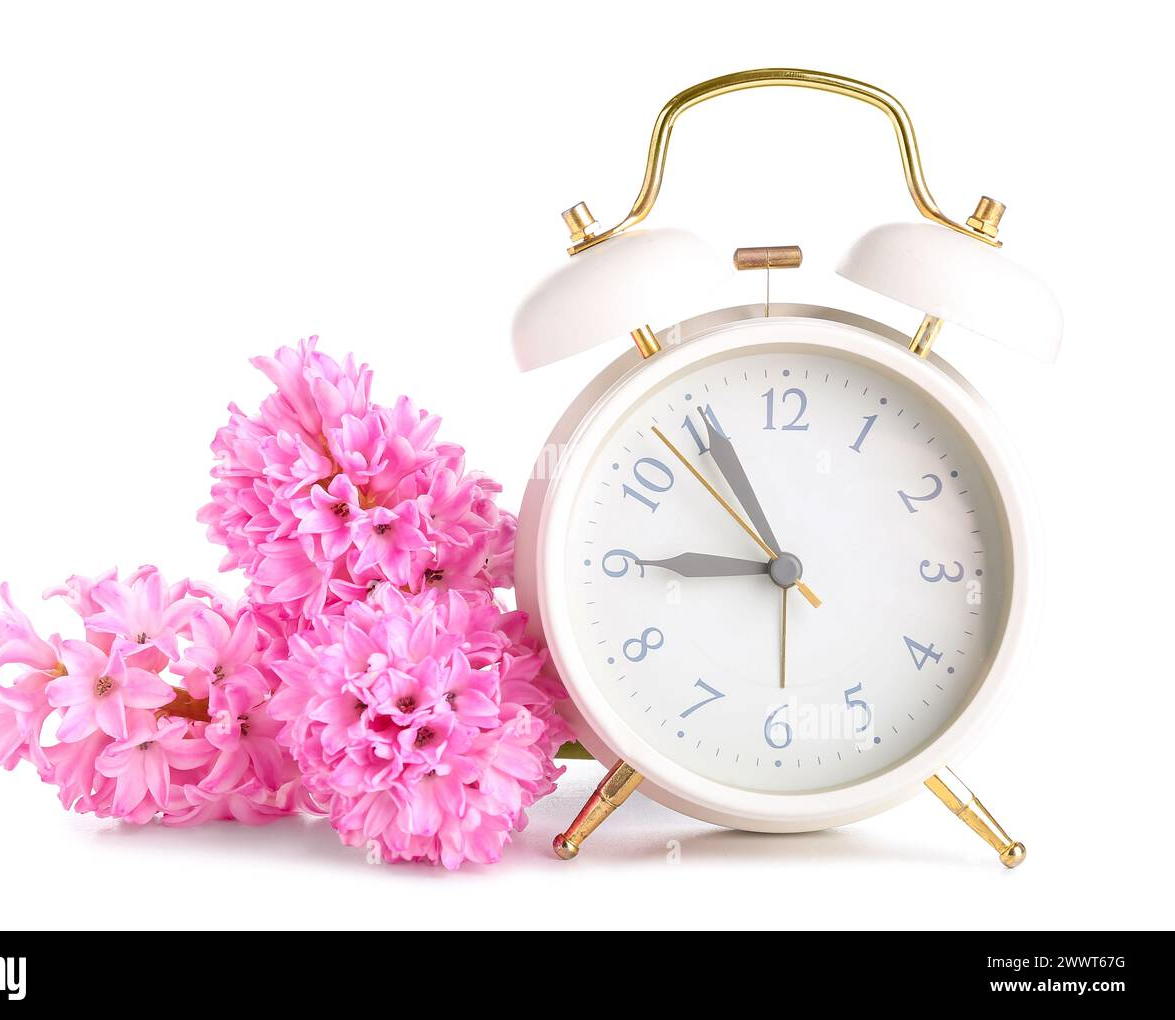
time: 8:55
